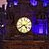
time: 4:40
